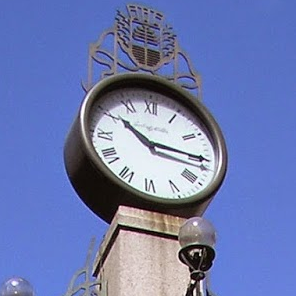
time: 10:14
